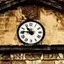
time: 10:46
